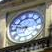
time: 6:46
